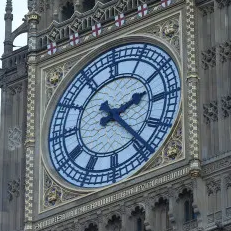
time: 2:23
